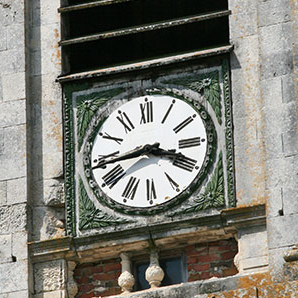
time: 3:43
